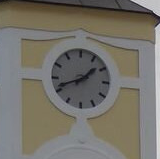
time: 1:41
